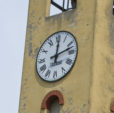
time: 12:12
